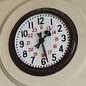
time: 1:28
